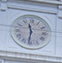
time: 11:31
